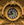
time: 10:42
